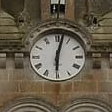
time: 6:02
